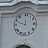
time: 11:48
